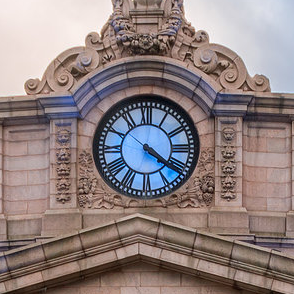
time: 4:21
